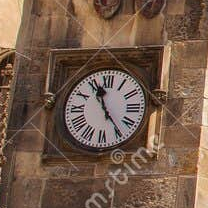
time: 11:23
